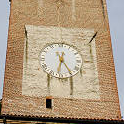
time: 12:32
